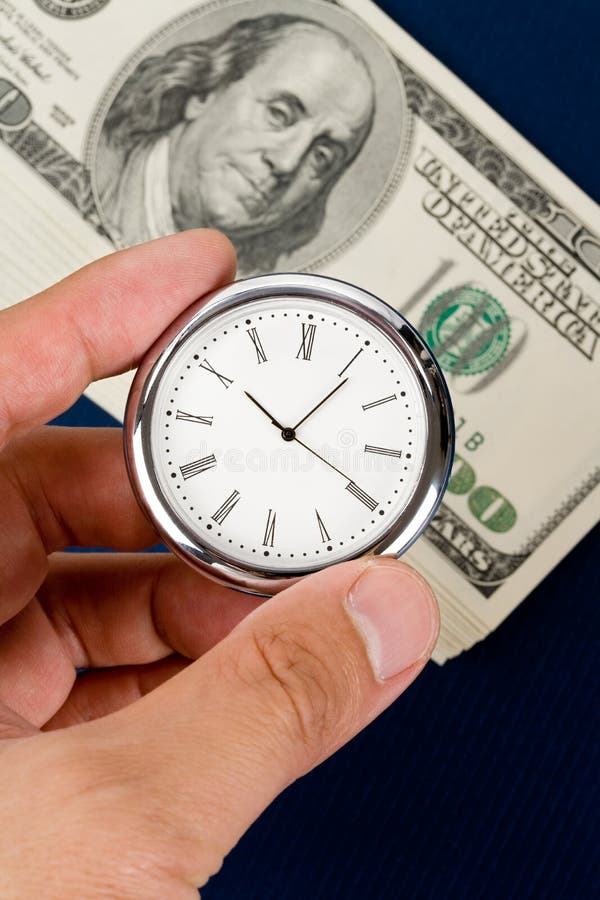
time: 10:06
